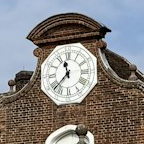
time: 11:37
